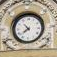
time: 10:38
